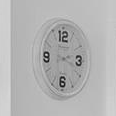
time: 2:18
